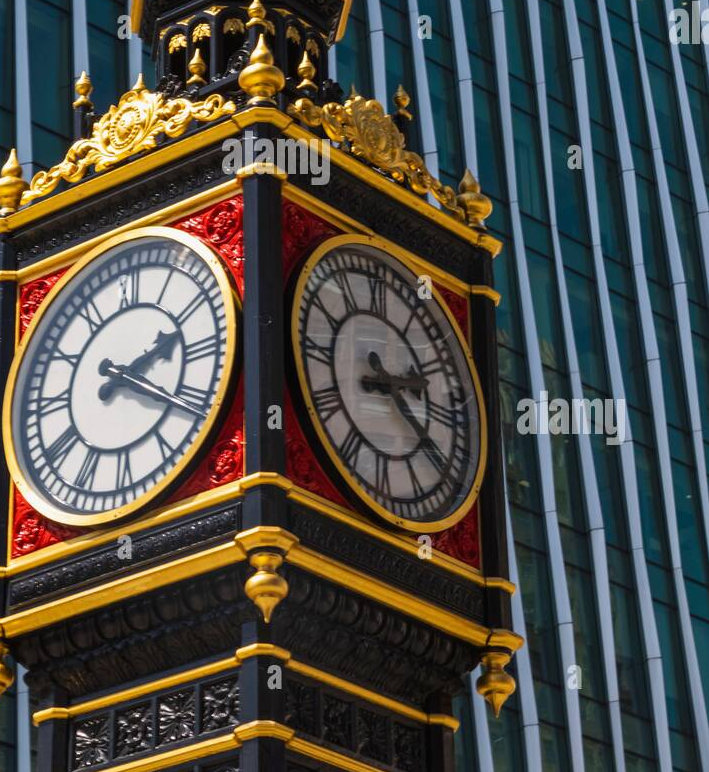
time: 2:21
